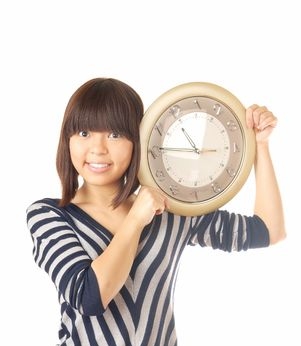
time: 10:45
